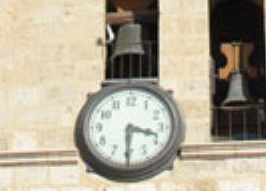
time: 3:30
